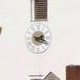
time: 2:18
